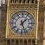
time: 1:26
